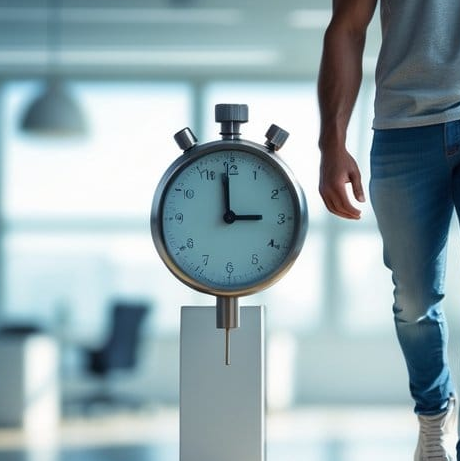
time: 2:59
